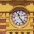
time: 11:23
